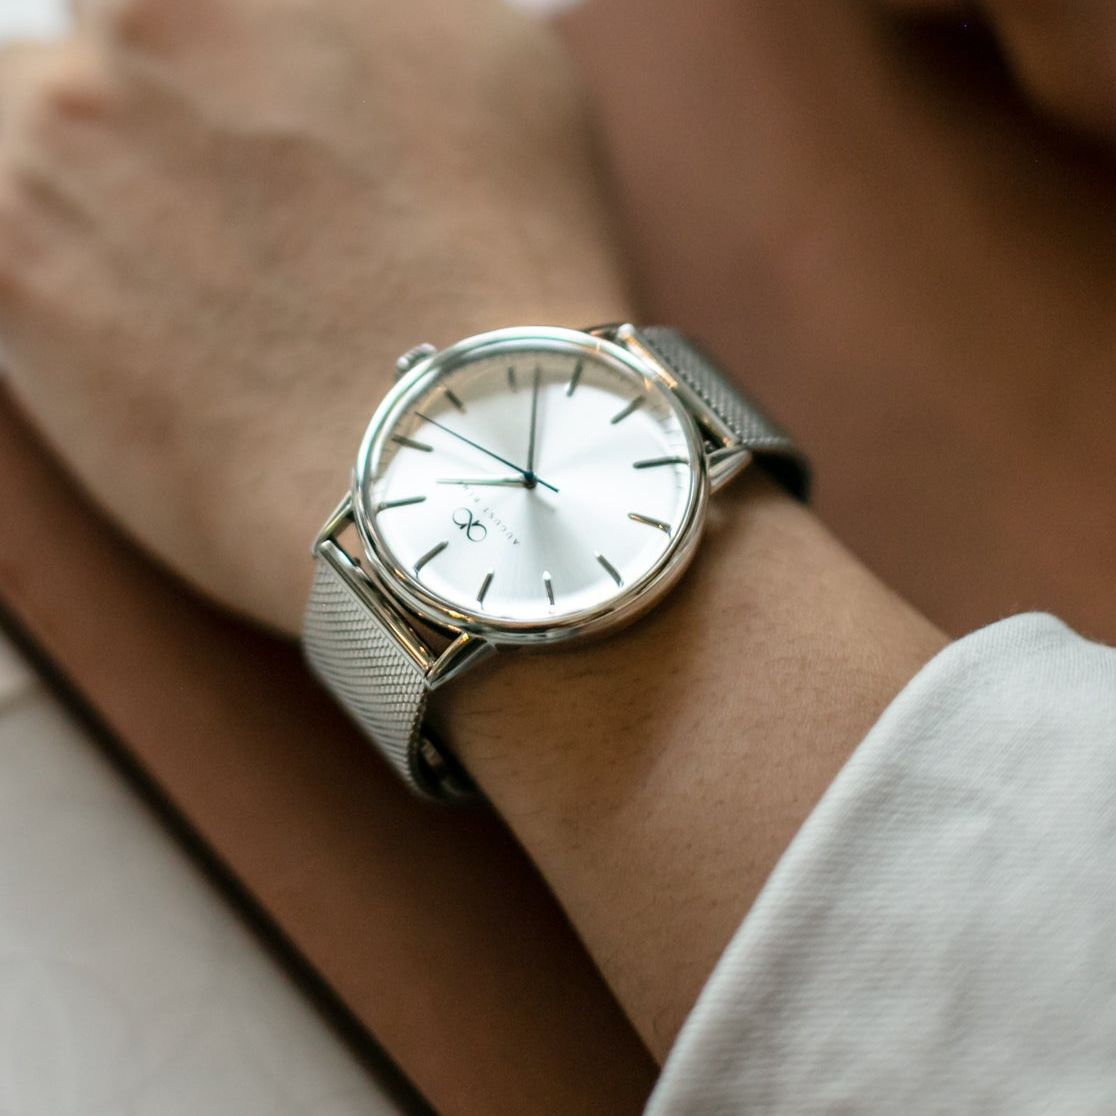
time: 9:01
